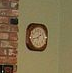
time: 1:42
